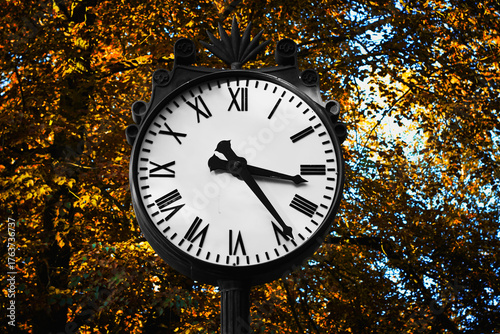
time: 3:23
